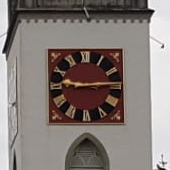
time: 9:14
